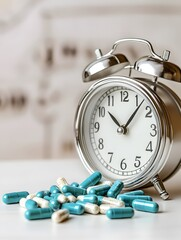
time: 10:07
